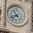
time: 10:42
